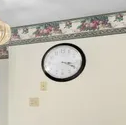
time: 3:19
